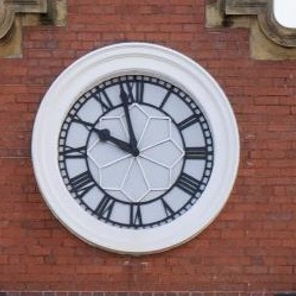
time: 9:57
